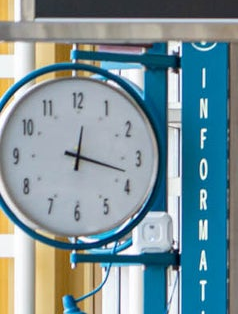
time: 12:17
